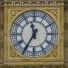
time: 11:35
